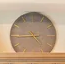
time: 4:44
